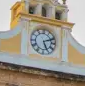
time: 5:11
